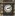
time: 3:11
